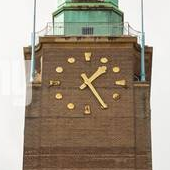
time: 1:24
